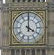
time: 4:00
